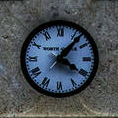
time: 4:06
